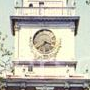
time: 3:38
